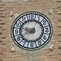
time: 7:46
